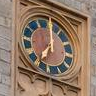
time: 7:00
